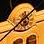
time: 7:07
